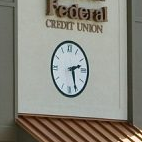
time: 2:26
